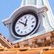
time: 12:52
